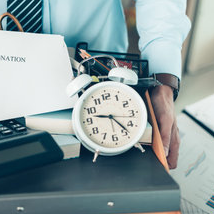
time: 9:23
